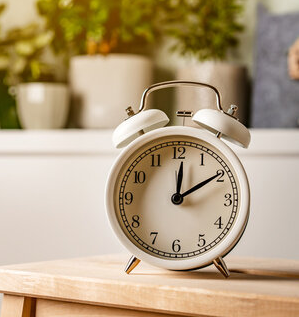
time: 12:09
